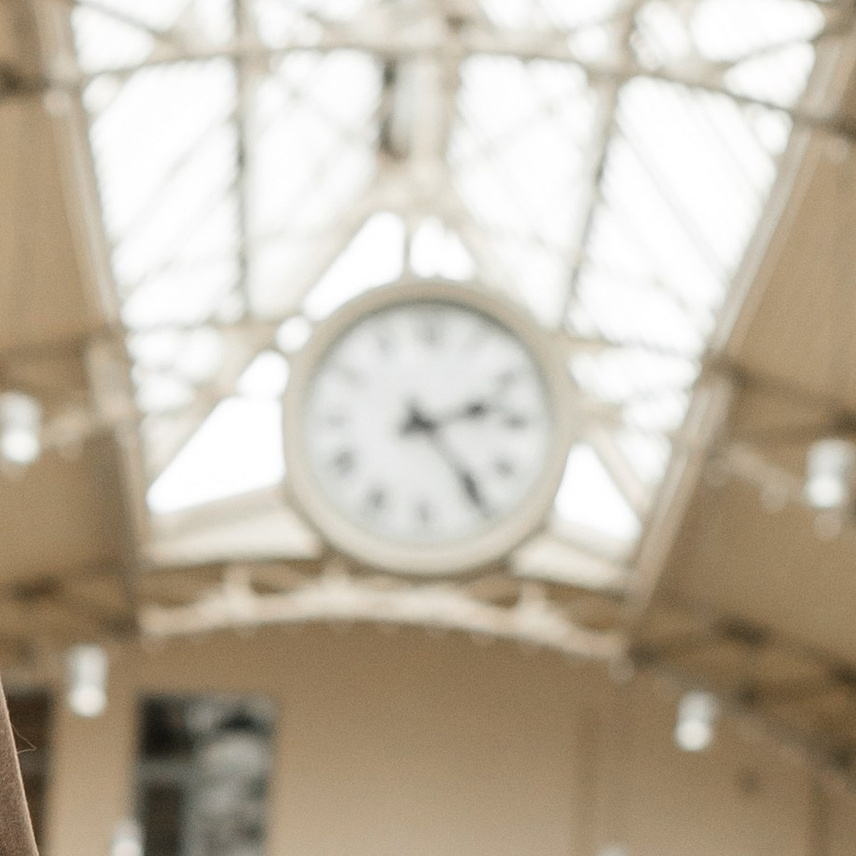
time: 2:23
